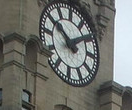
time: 1:50
